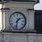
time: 1:32
